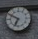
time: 6:49
